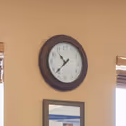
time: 10:37
